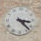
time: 3:22
